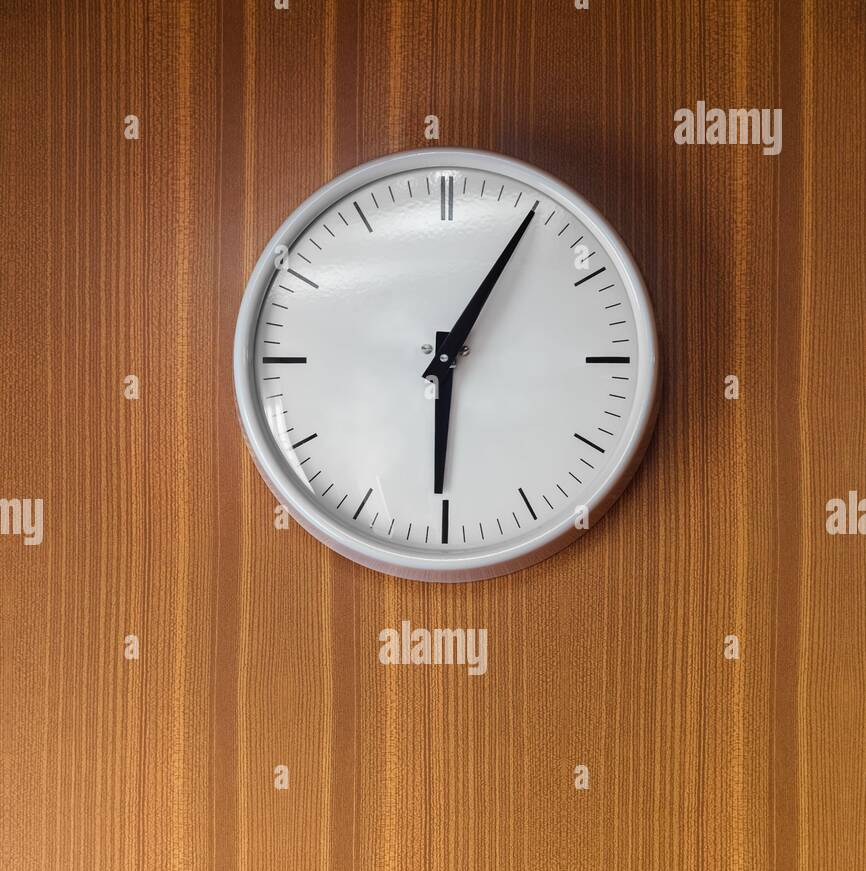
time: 6:05
